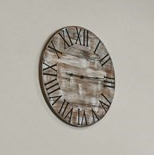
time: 3:14
